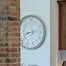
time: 8:12
